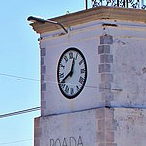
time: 12:40
